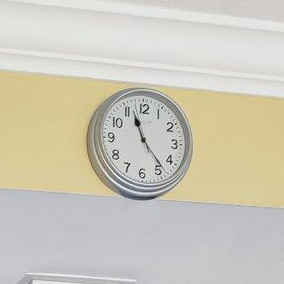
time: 11:23
